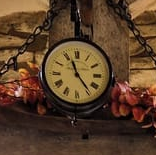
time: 11:23
